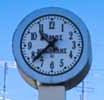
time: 10:37
